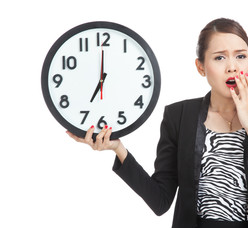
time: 6:59
